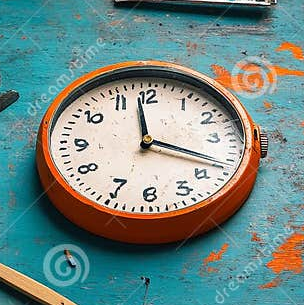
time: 3:58
